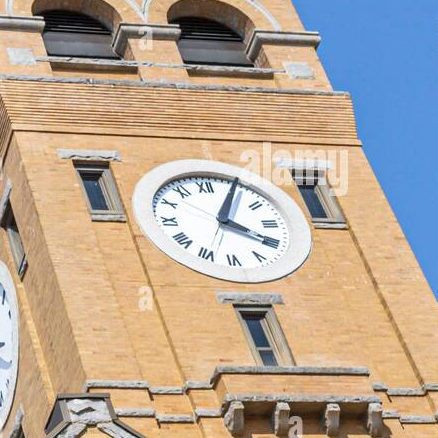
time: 4:04
